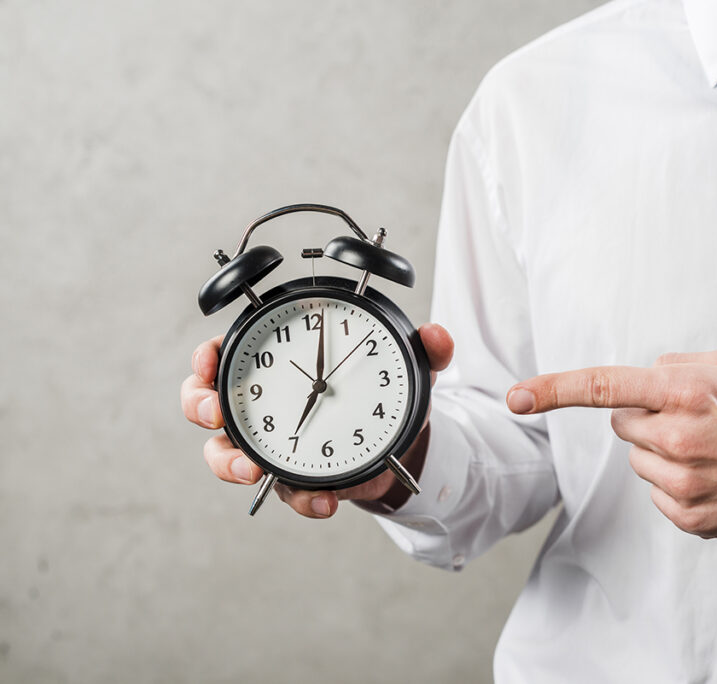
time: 7:01
